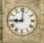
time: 9:01
